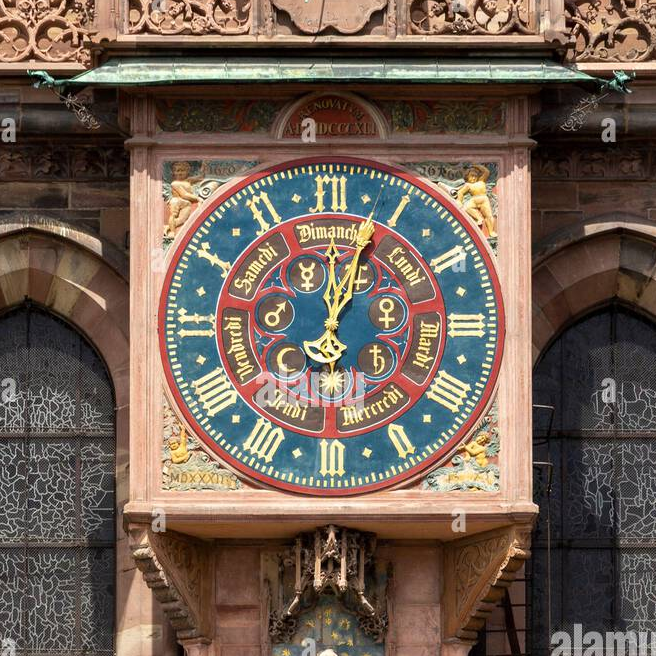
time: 12:03
